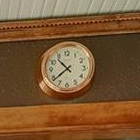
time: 10:38
